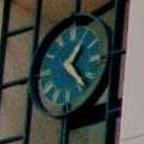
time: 1:22
